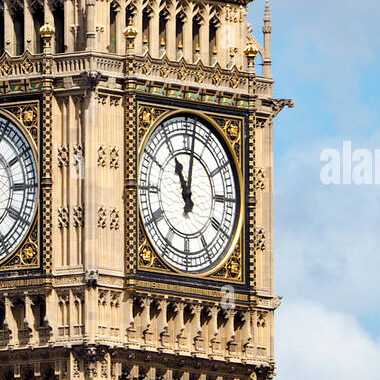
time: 11:01
